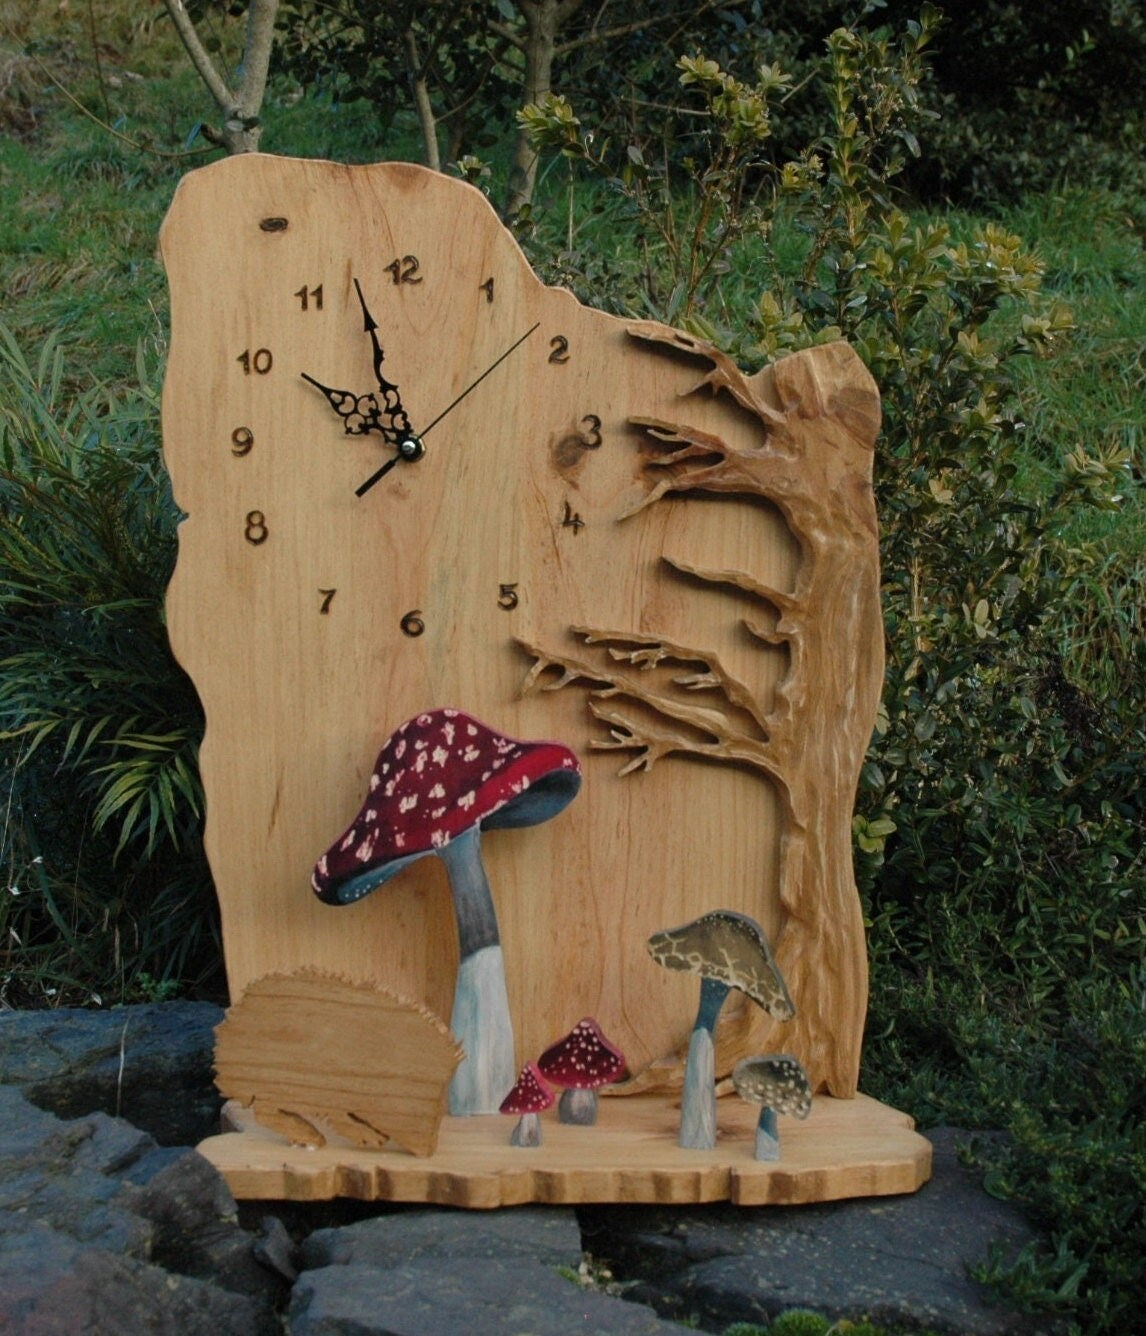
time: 9:57
